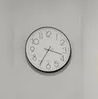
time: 3:34
